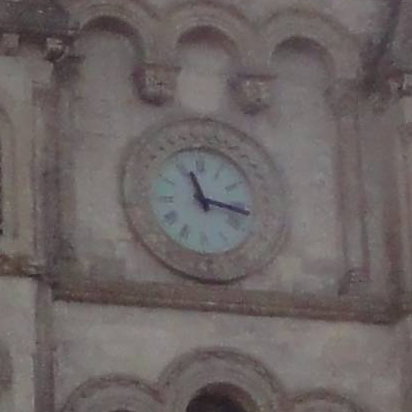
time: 11:17
